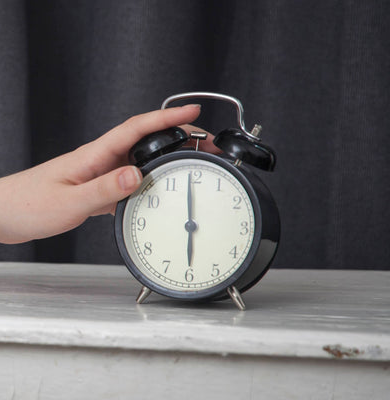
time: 5:59
